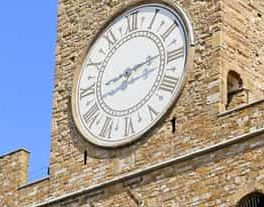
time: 8:13
